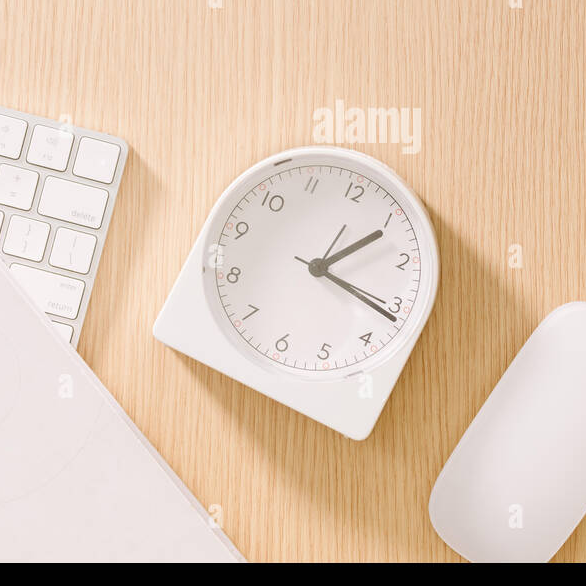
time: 1:16
